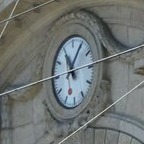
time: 11:05
